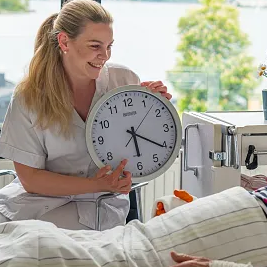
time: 6:20
